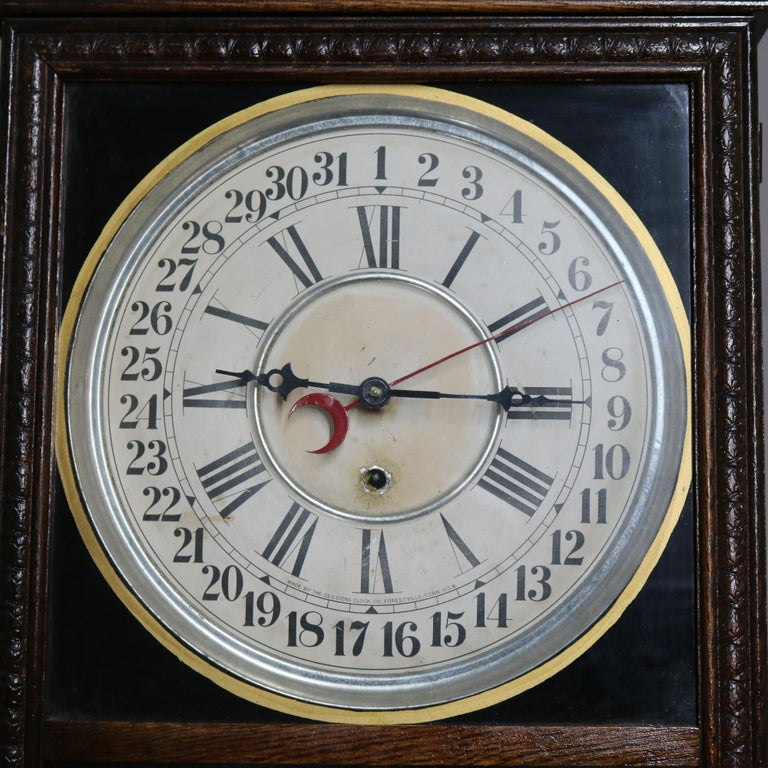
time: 9:14
